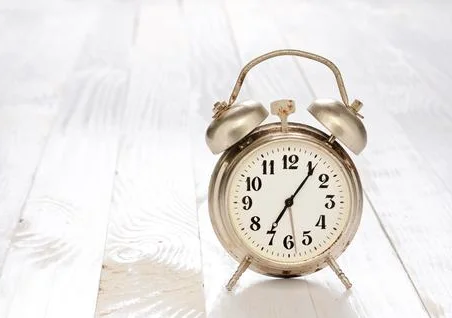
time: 7:06
